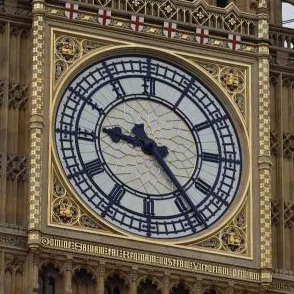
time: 9:23
